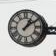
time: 1:09
